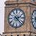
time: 2:22
